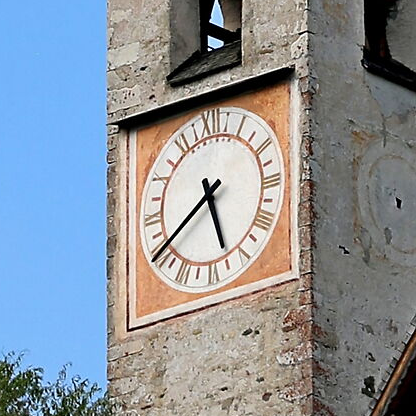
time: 5:40
